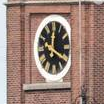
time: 12:20
